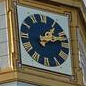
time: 1:12
